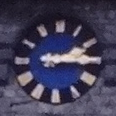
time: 2:15
